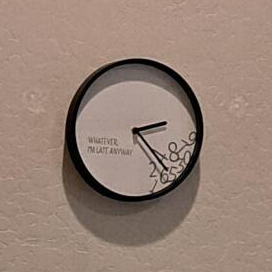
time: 2:23
